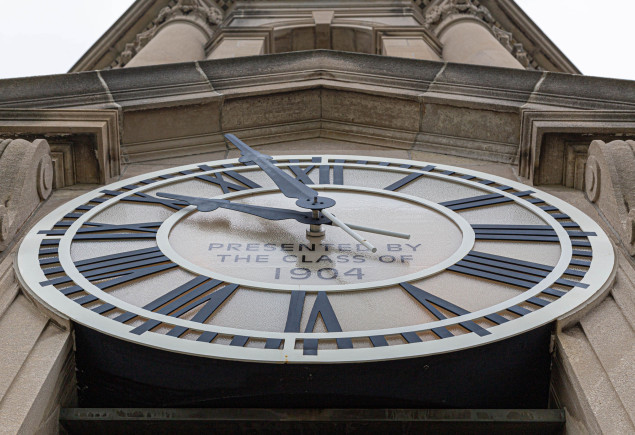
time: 9:57
